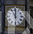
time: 11:00
